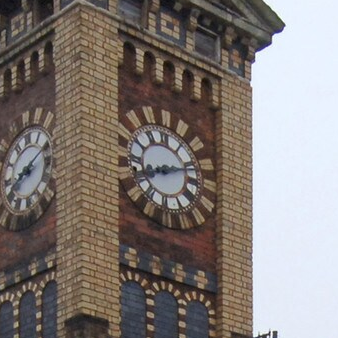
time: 8:12
